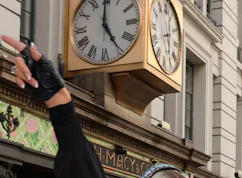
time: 5:00
